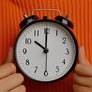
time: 10:00
